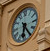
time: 6:24
